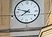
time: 7:47
